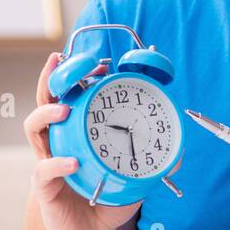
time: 9:30
